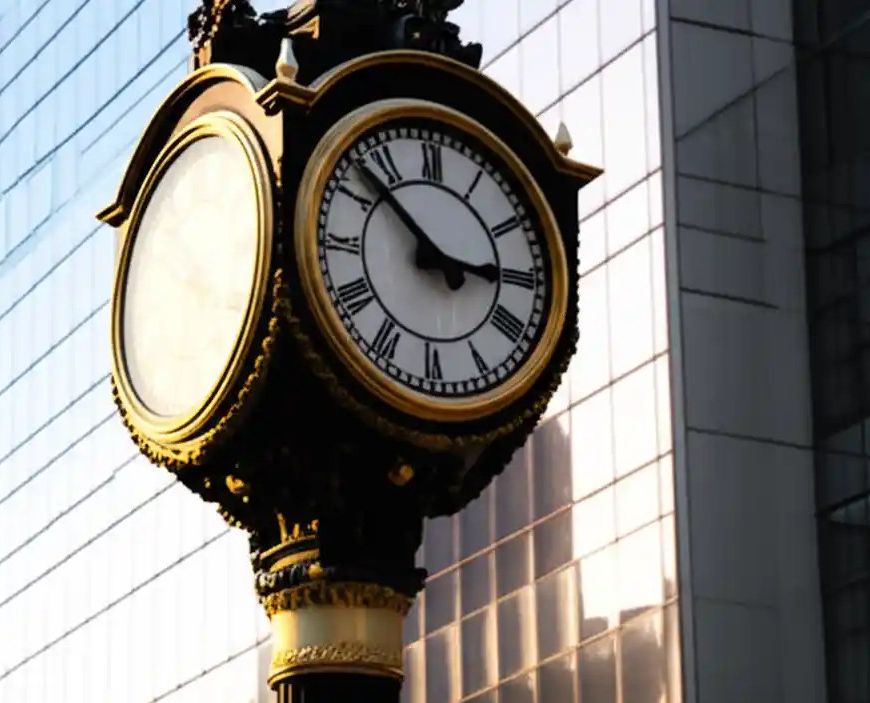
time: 2:52
